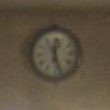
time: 12:26
